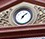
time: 7:08
